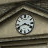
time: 3:41
